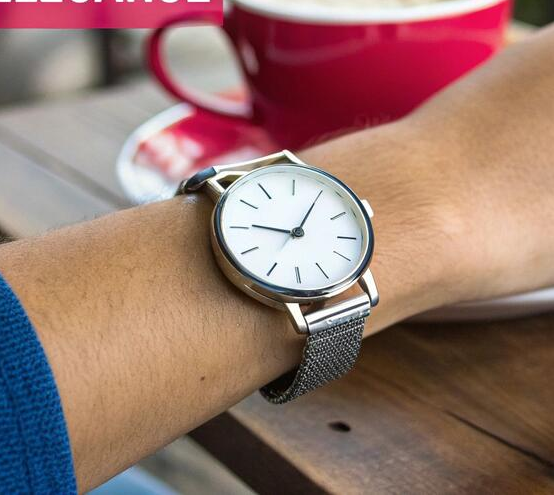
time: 9:04
